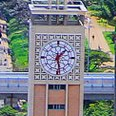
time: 1:28
